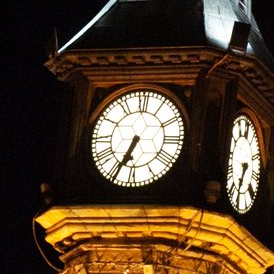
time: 6:34
